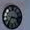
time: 7:16
